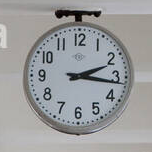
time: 2:16
